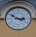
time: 2:50
